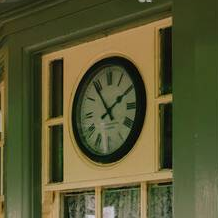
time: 1:54
